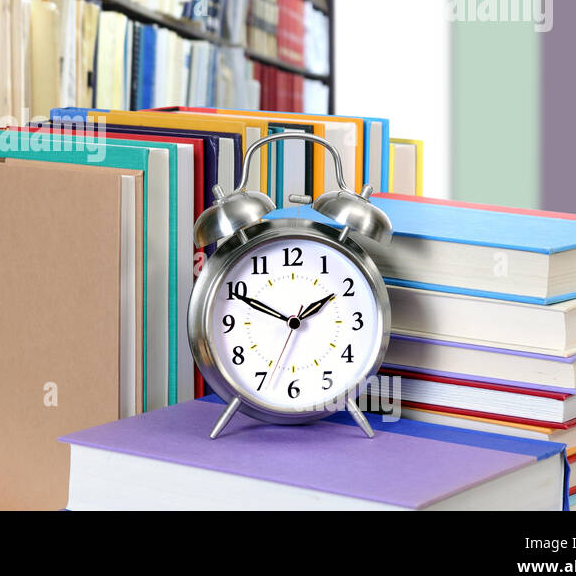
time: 1:49
